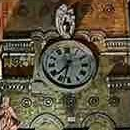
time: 7:32
